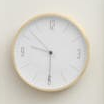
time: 9:30
